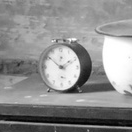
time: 1:51
